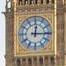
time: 12:14
